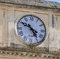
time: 4:50
